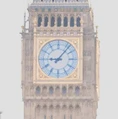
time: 9:06
